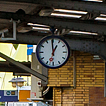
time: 12:59
